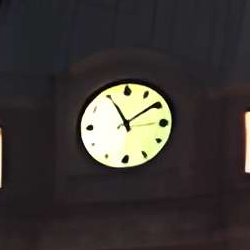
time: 1:54
